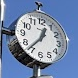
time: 12:36
